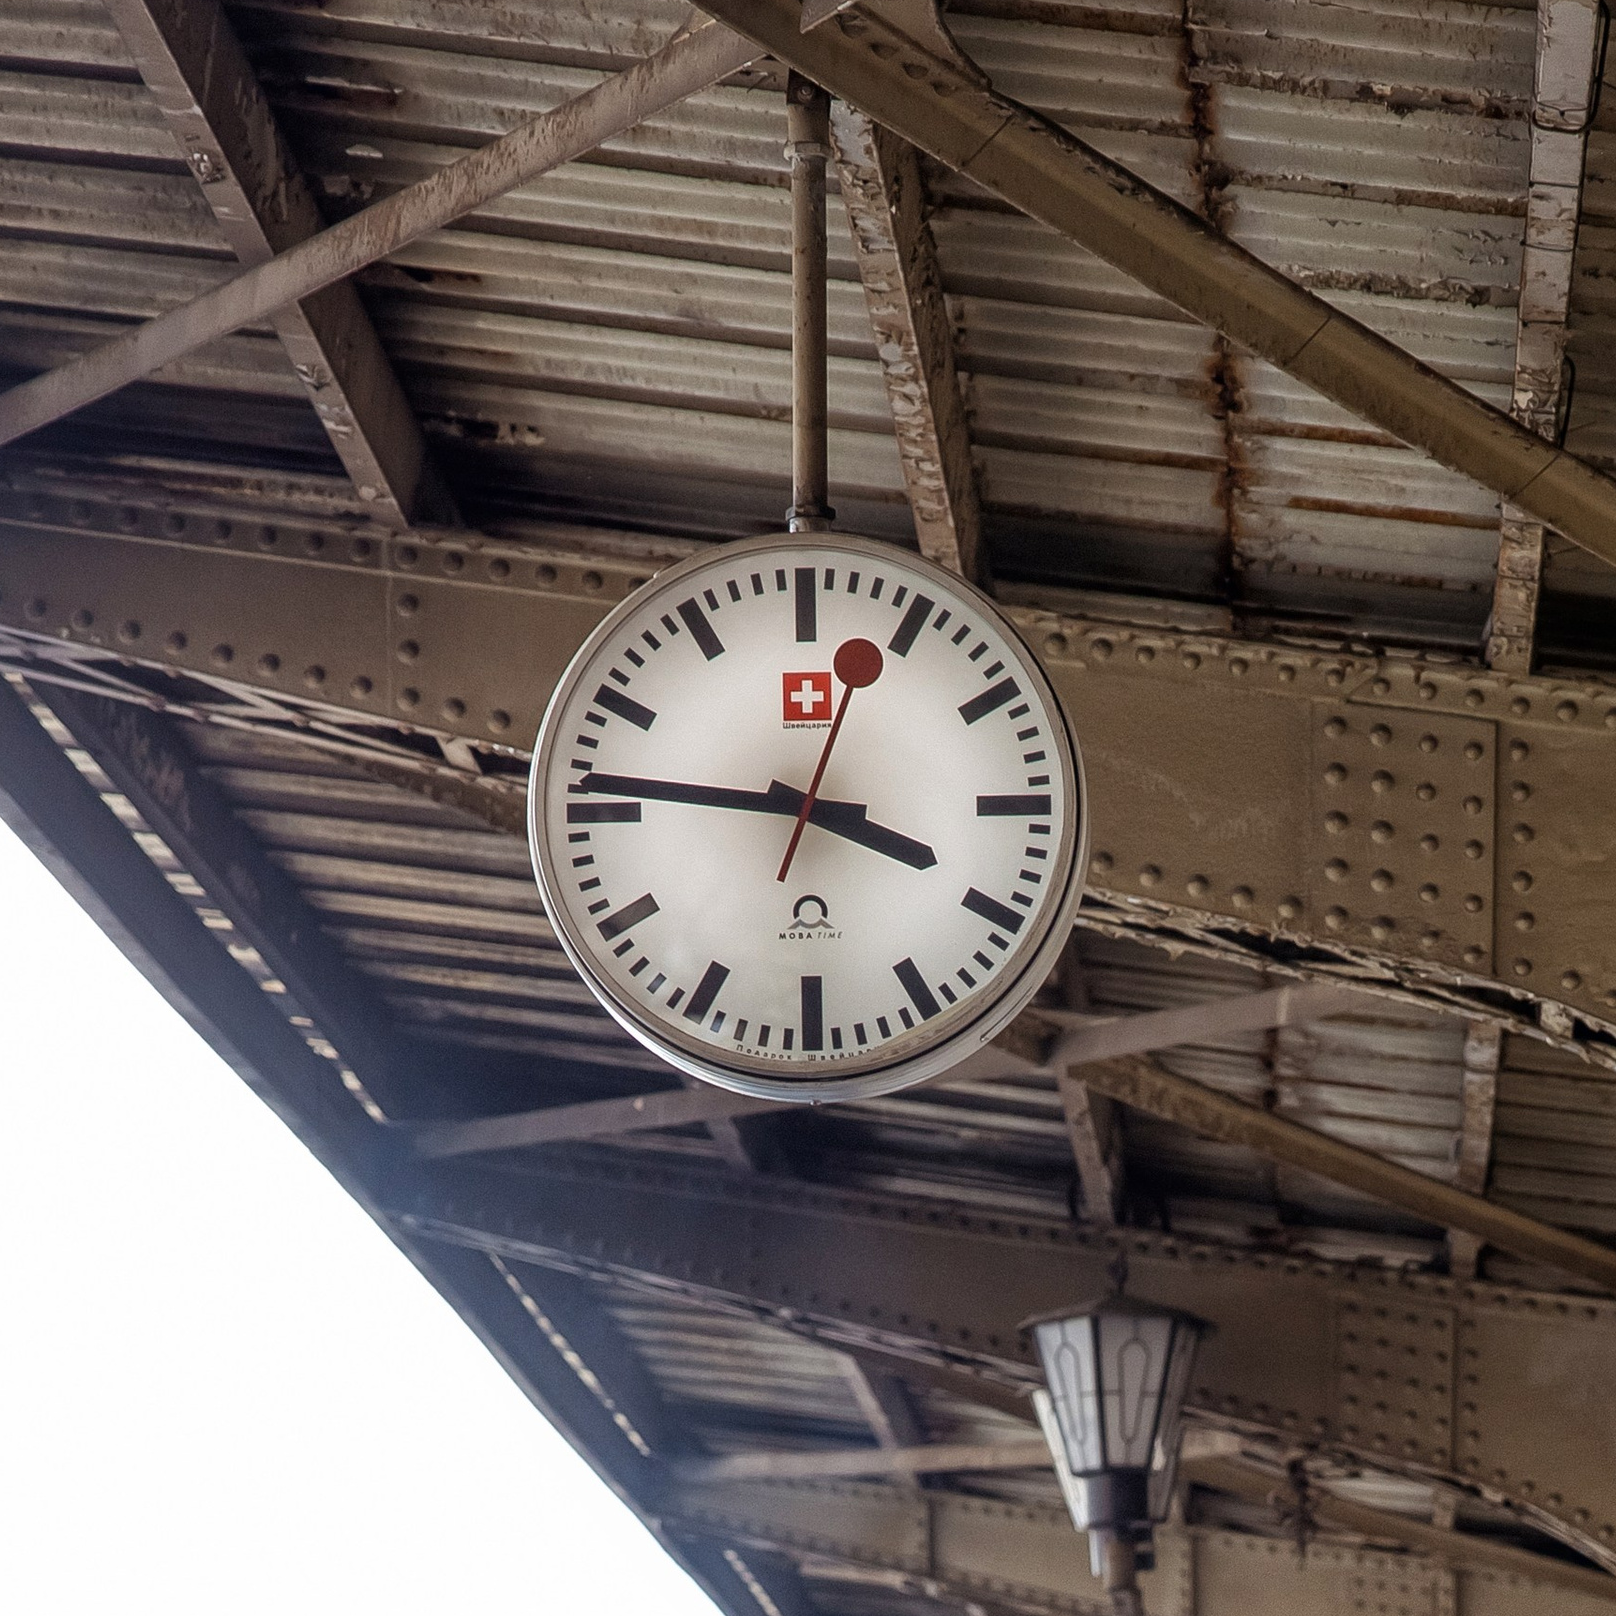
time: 3:46
